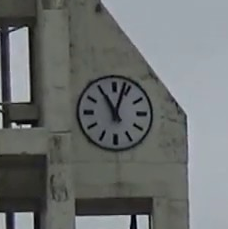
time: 11:03
